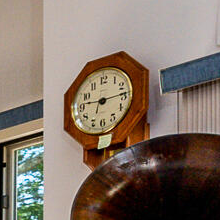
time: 9:14
